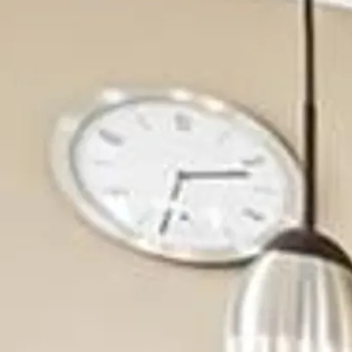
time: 2:32
